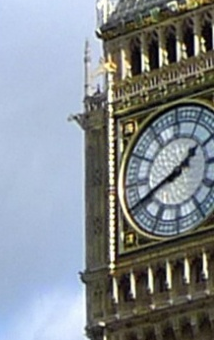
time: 1:41
